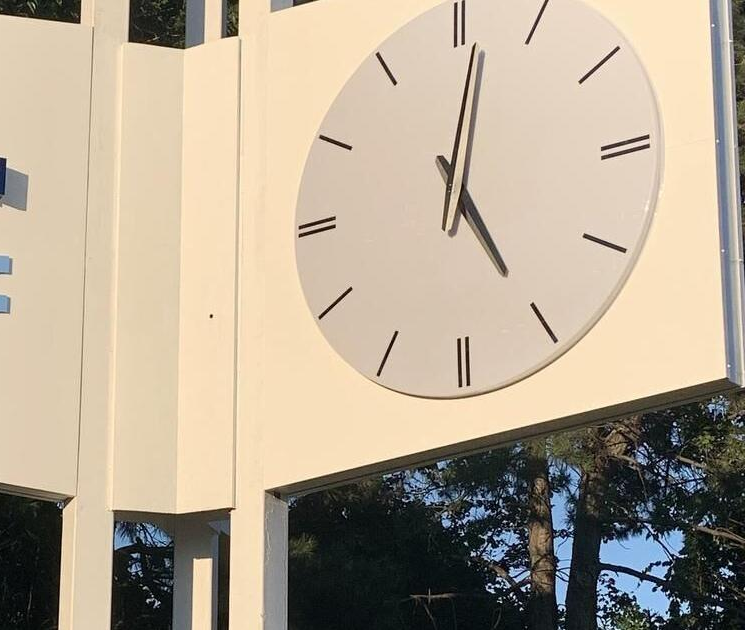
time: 5:01
